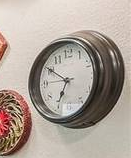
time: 6:50
